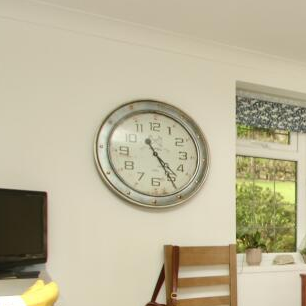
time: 4:24
